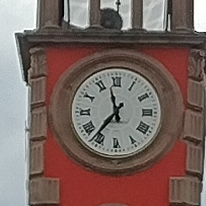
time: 11:36
